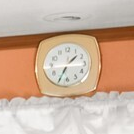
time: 1:34
